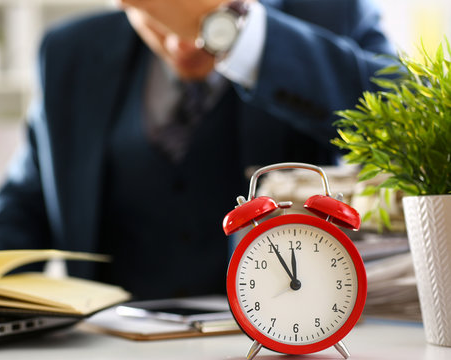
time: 11:54
